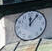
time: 12:06
